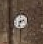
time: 2:32
